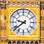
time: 9:38
